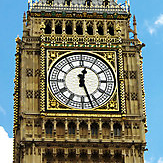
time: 12:26
